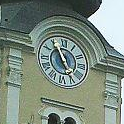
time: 4:55
